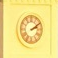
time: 2:09
